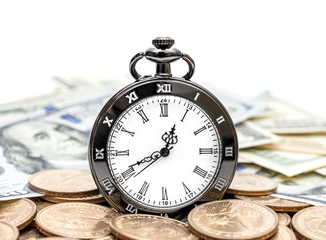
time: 12:40
